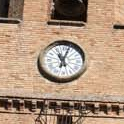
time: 11:03
